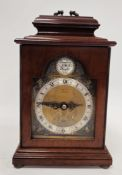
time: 2:46
